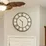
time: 10:30
